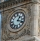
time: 1:18
